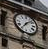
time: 7:08
